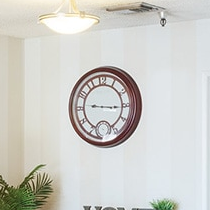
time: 9:15
